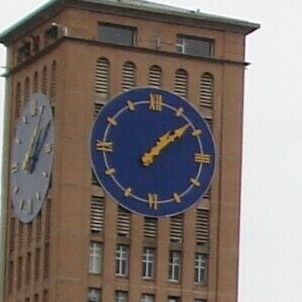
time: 1:08
